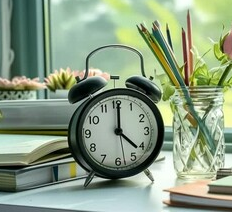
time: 4:00
